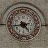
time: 4:42
